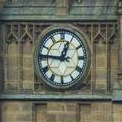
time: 12:46
